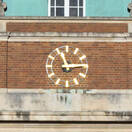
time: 11:13
